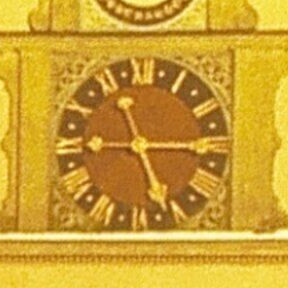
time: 5:15
